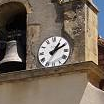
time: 1:10
